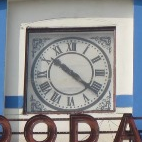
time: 10:21
